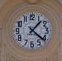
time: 1:21
